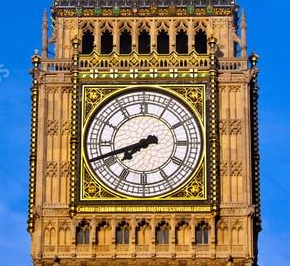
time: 7:41
